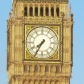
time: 7:35
